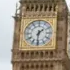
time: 1:31
